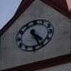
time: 4:26
